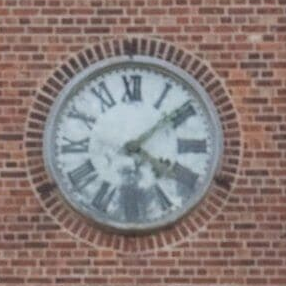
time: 4:08
